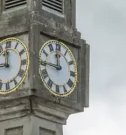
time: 11:44
